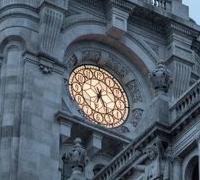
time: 6:25
